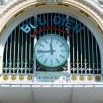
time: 11:43
